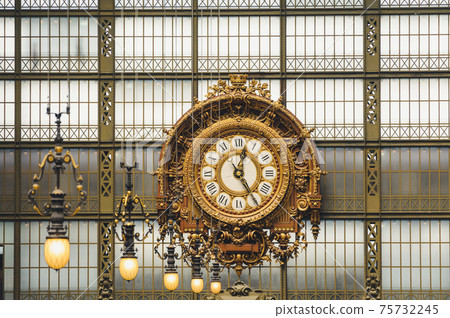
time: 12:24
